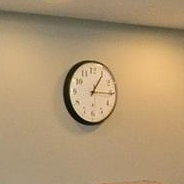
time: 1:15
